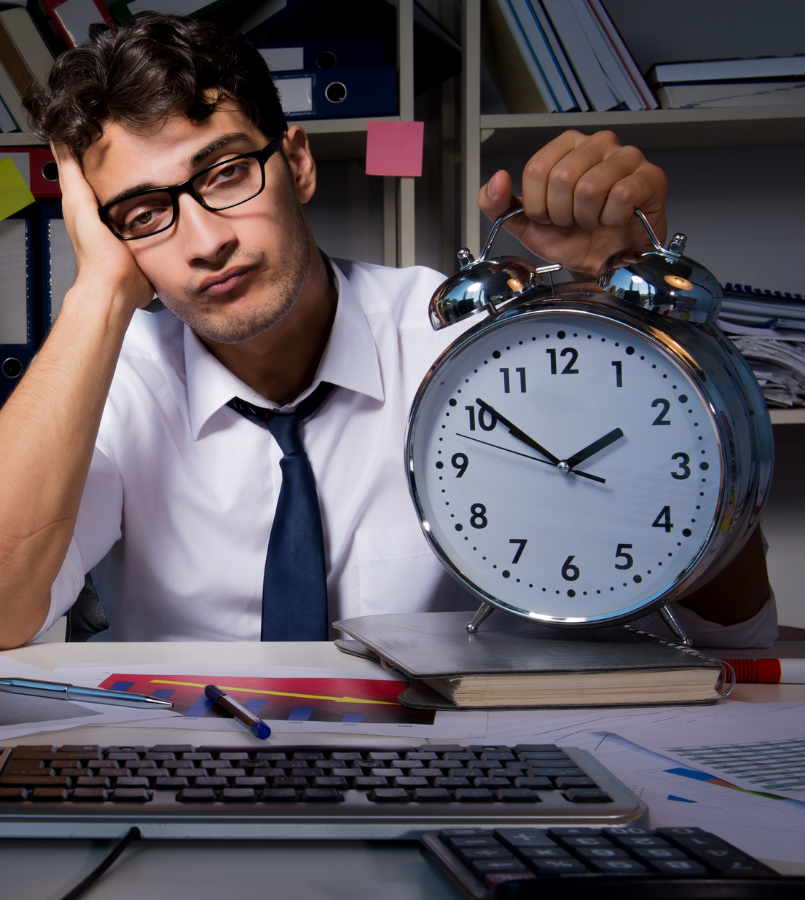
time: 1:51
